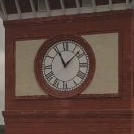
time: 11:07
